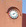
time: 8:11
